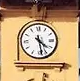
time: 4:28
